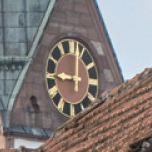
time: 9:01
